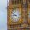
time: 8:51
